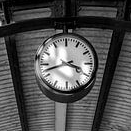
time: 3:42
